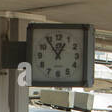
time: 12:53
